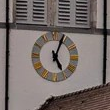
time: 5:03
